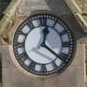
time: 12:21
